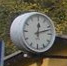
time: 12:12
